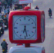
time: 6:28
